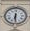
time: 6:29
